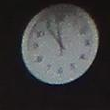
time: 11:53
